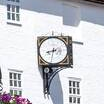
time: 8:32
